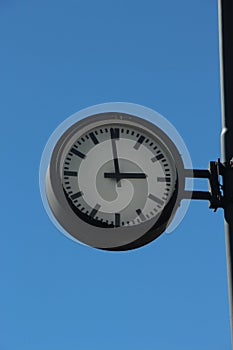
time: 2:58
